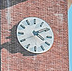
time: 4:10
